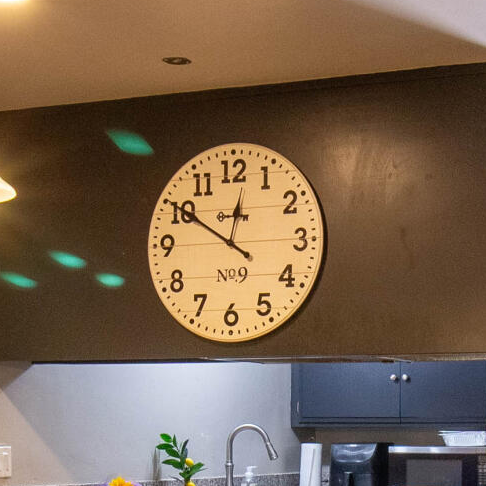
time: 12:50
